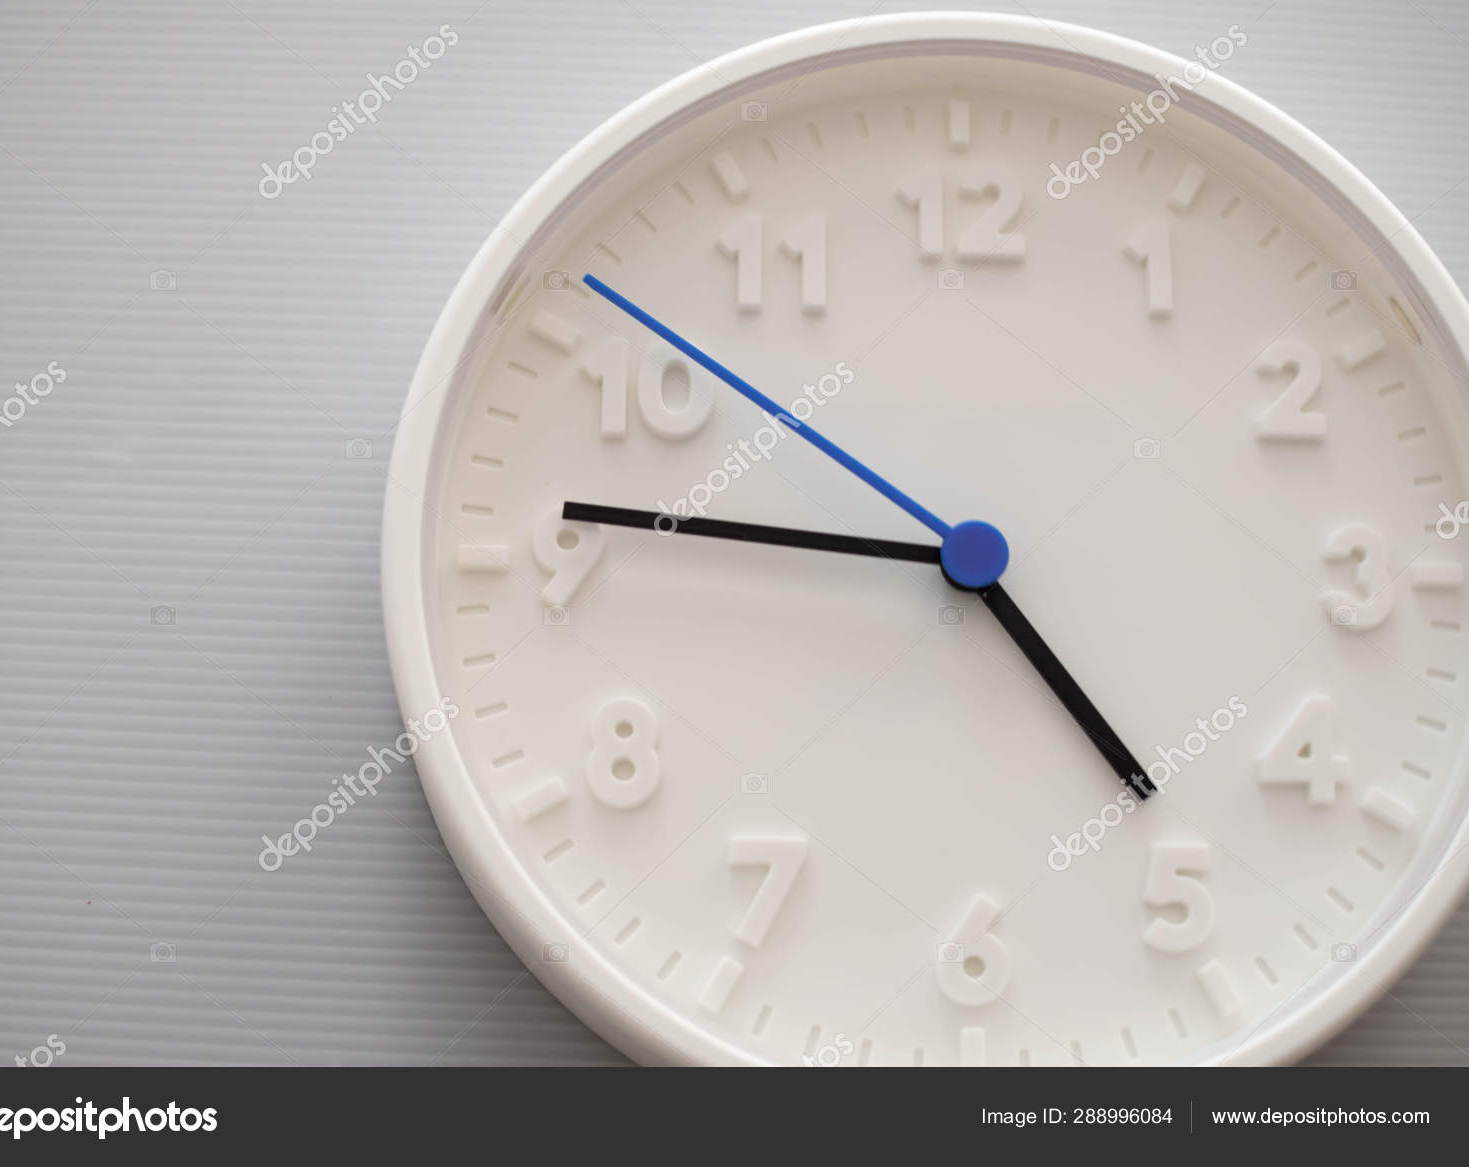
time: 4:46
